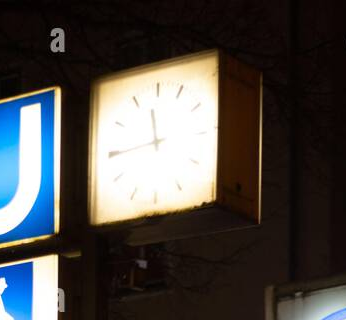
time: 11:44
